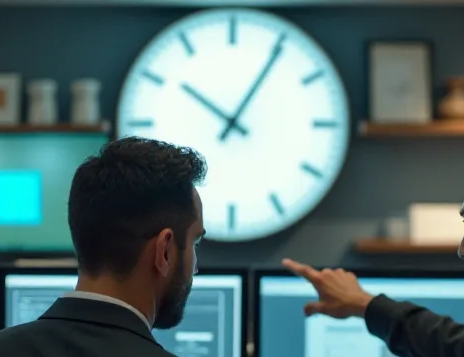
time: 10:05
